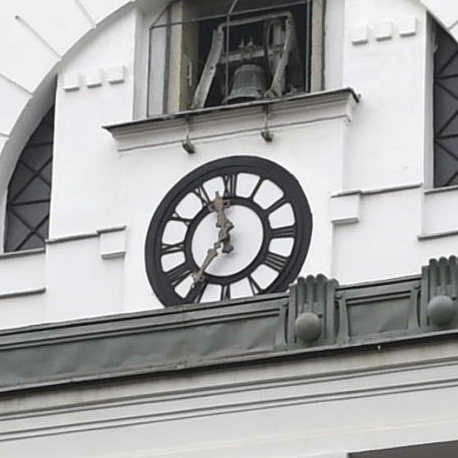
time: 11:35
